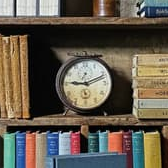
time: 9:11
